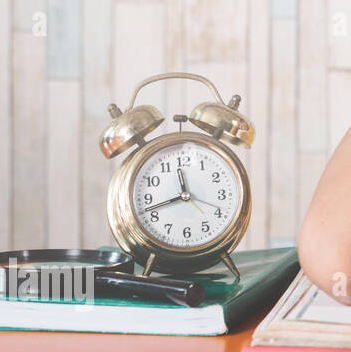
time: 11:42
